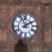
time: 1:56
